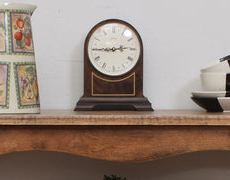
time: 2:44
